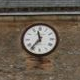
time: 11:36
